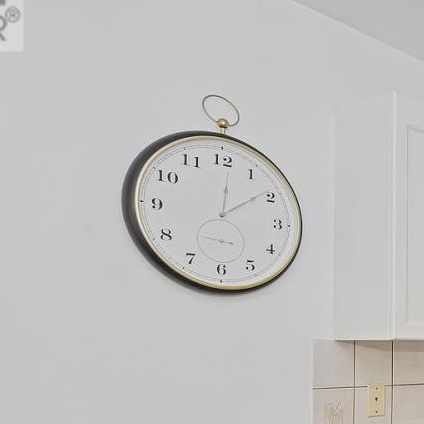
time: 12:09
